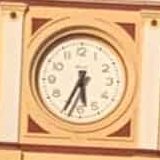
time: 5:34
